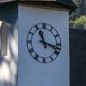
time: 11:17
